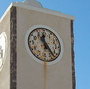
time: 11:23
